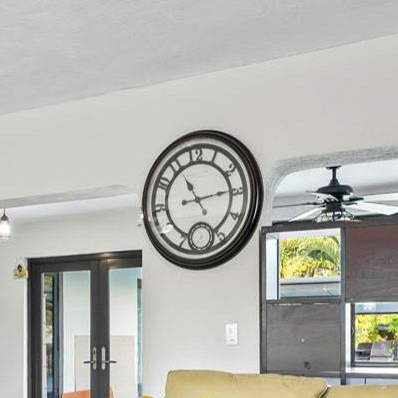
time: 11:14
